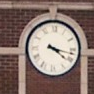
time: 4:17
